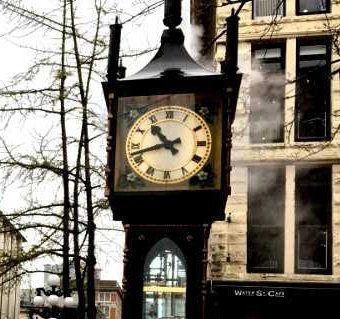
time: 10:42
